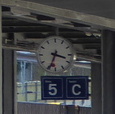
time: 3:33
